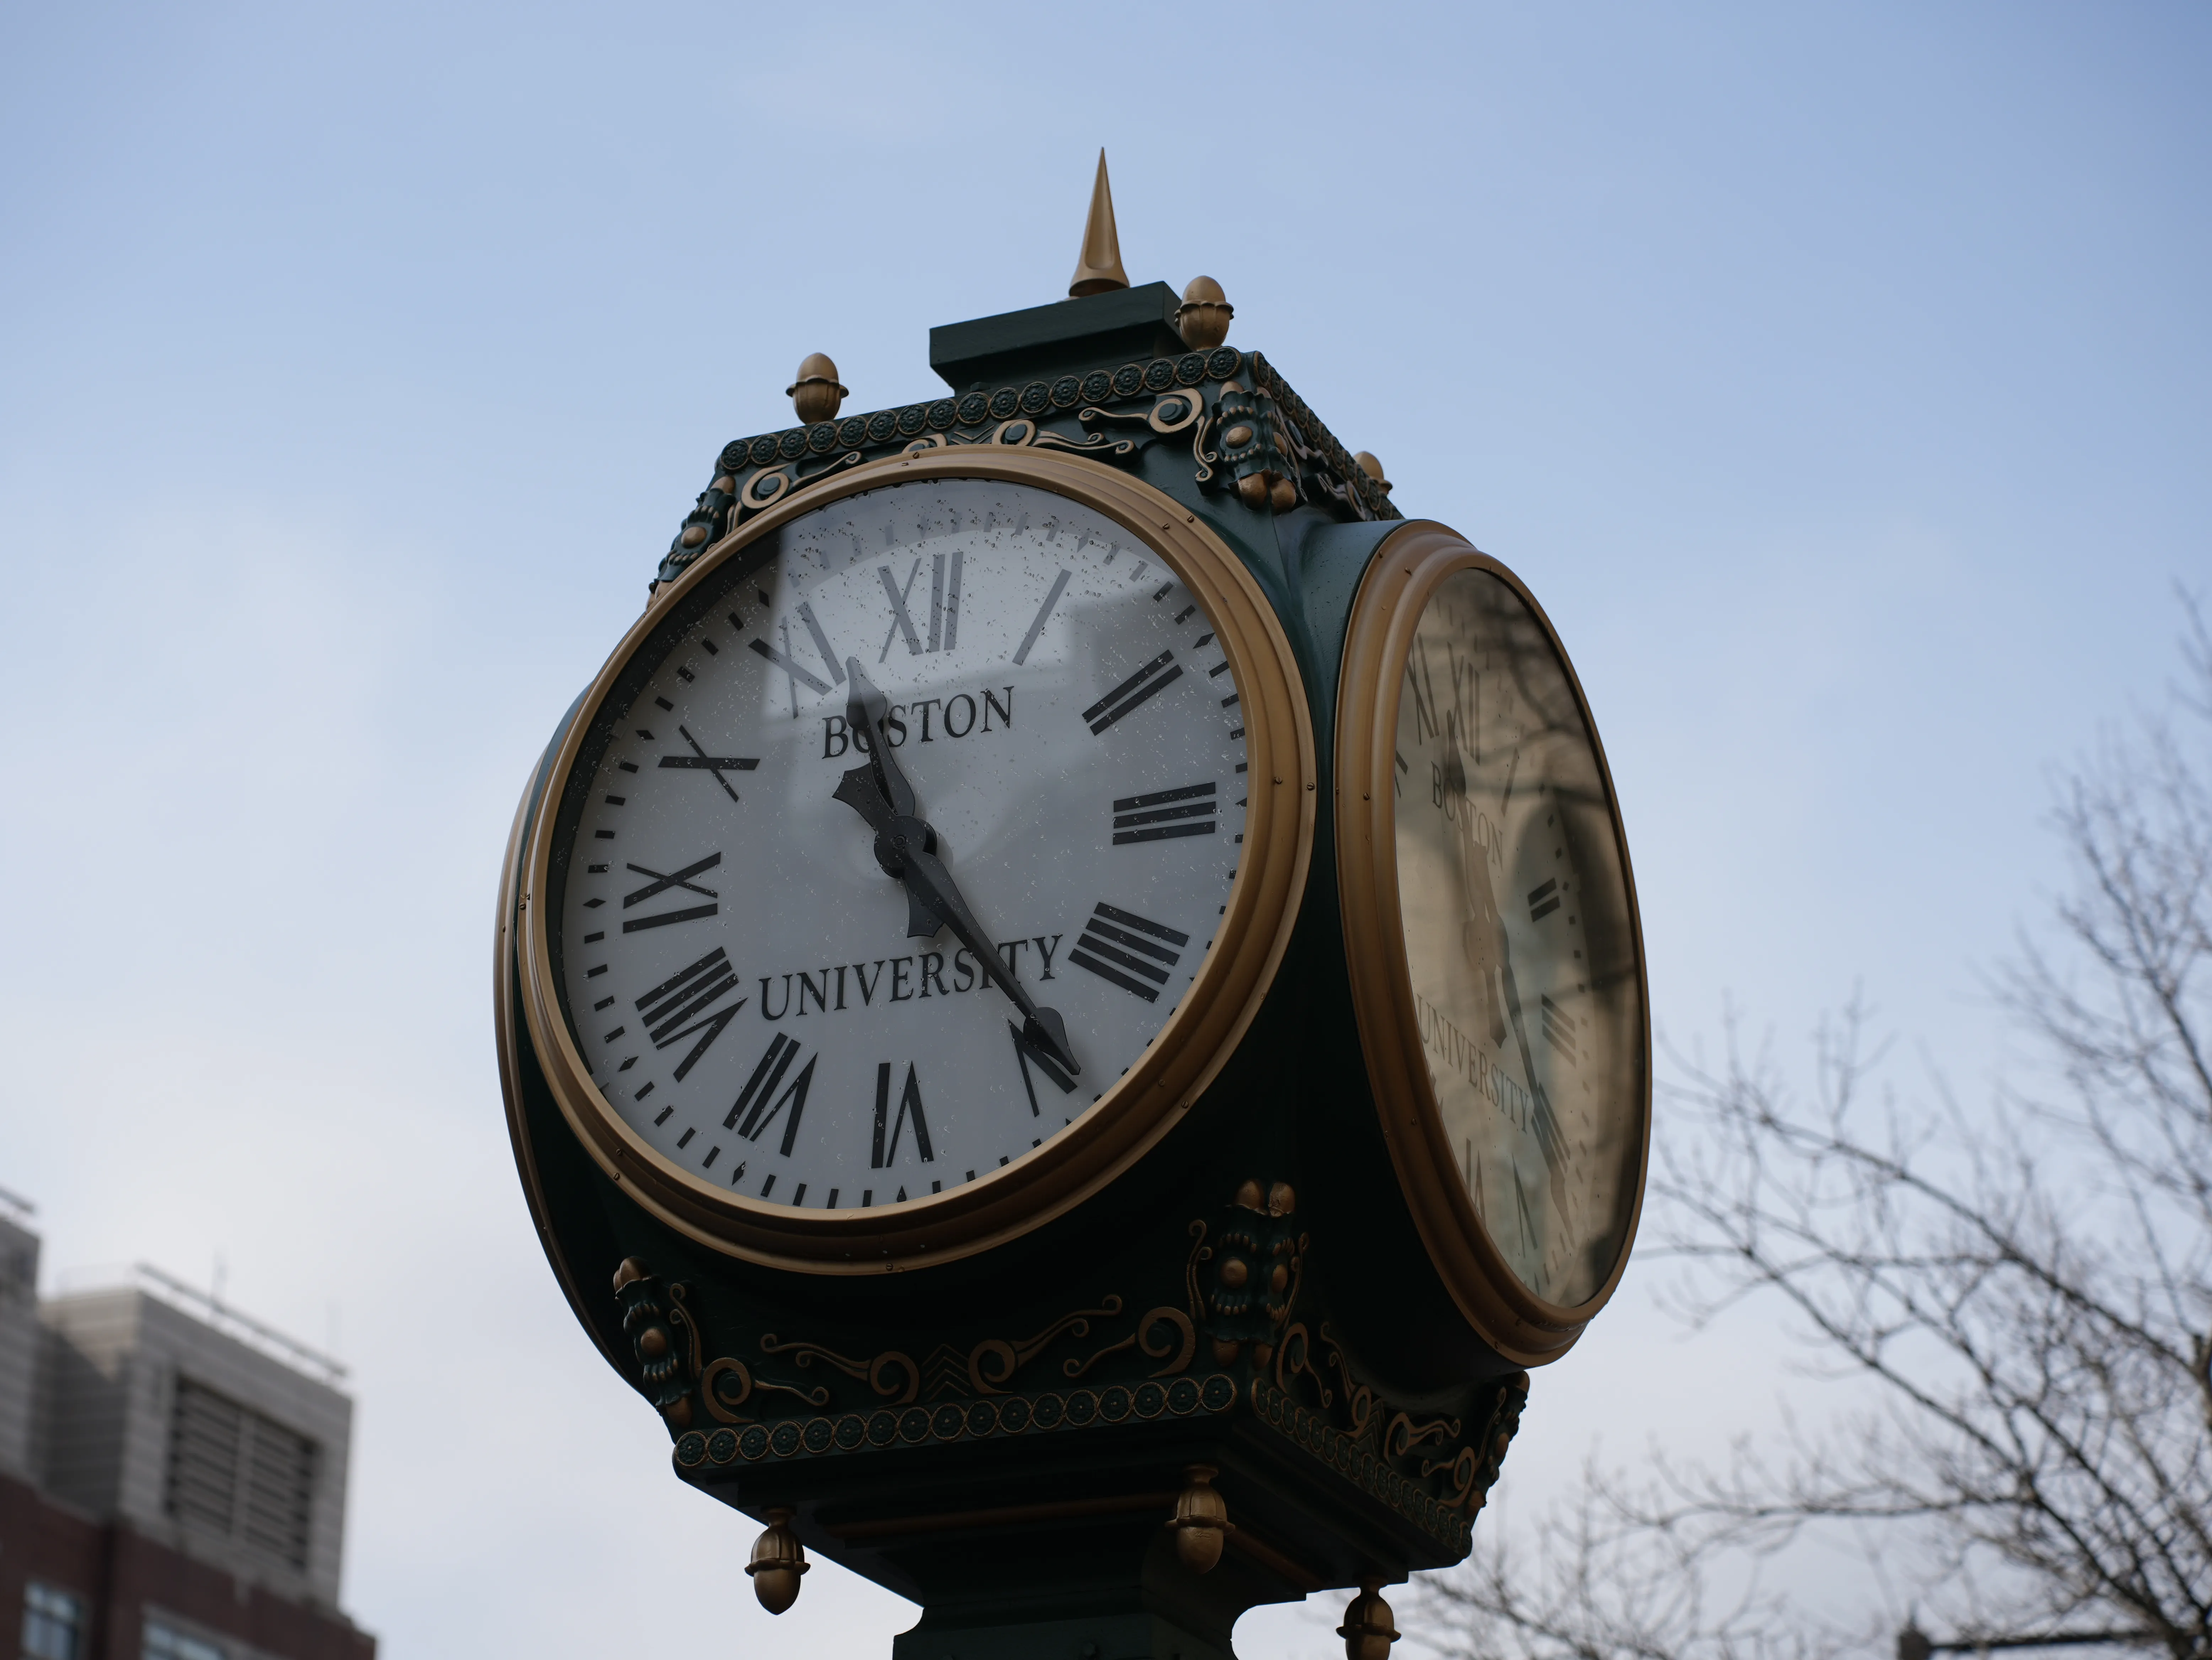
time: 11:23
